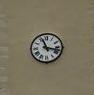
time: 11:17
